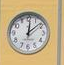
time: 12:08
